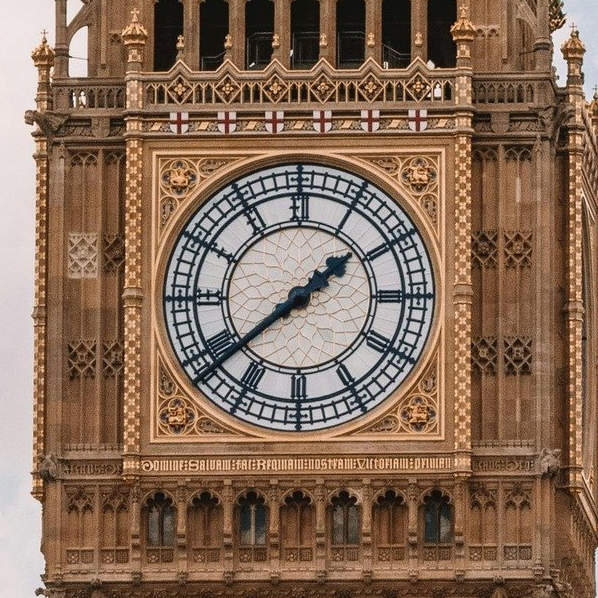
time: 1:38
